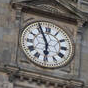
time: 5:55
